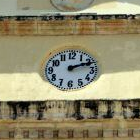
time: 2:11
